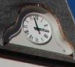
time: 2:57
